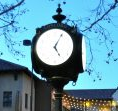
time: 5:04
